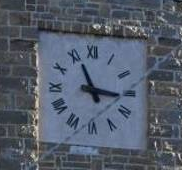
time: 11:16
